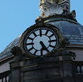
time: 5:24
